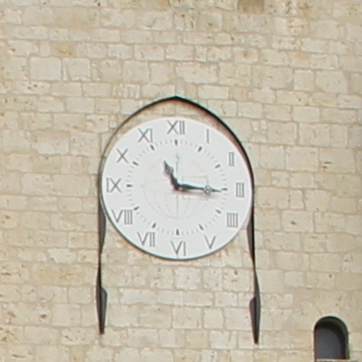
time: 11:15
